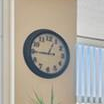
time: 12:44
